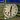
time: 12:30
